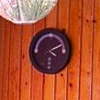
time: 4:10
